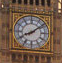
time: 8:08
